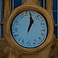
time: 1:02
